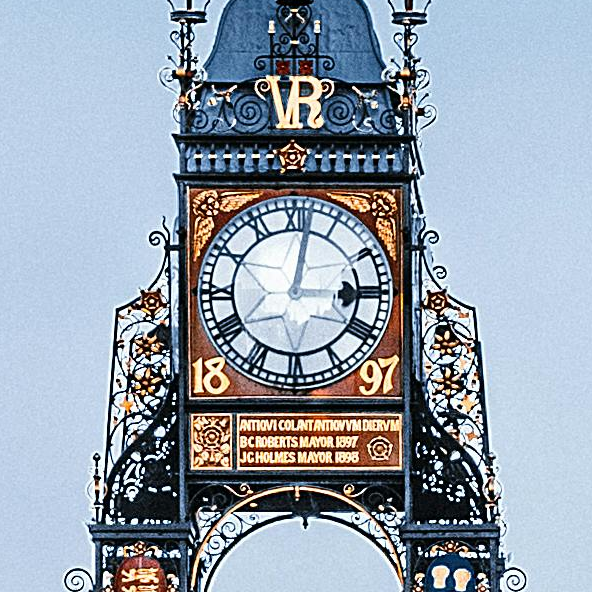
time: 3:01
